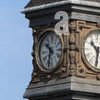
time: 10:32
